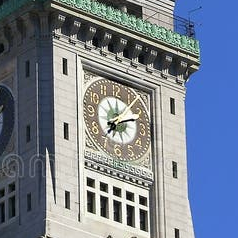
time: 7:11
